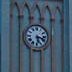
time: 5:17
